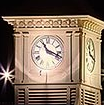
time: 11:18
